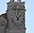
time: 11:07
